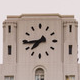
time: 7:44
